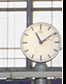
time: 11:09
